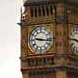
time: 9:16
